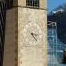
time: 3:23
